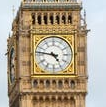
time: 4:46
